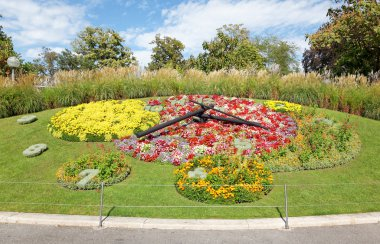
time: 8:16
